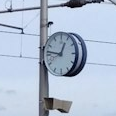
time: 12:46
